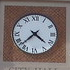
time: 4:37
